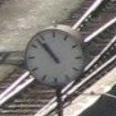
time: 10:53
